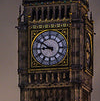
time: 8:50
